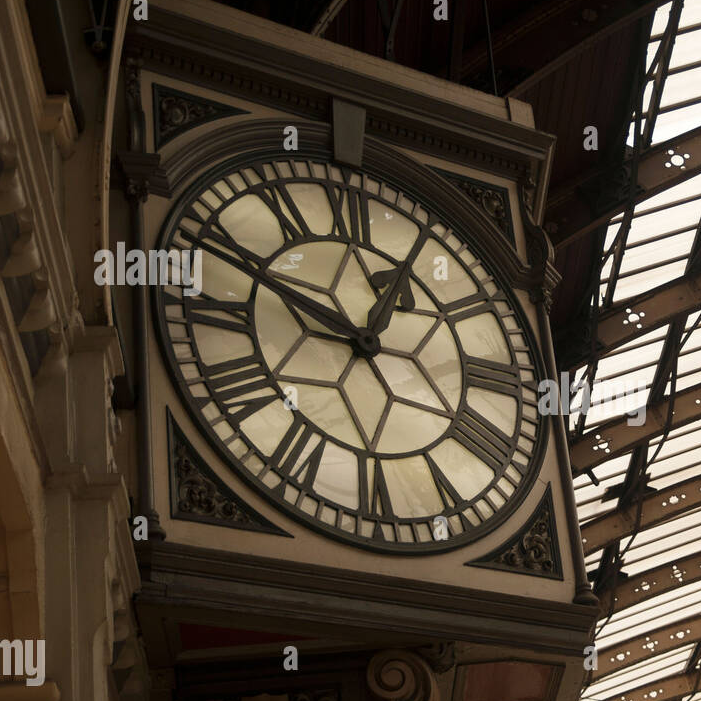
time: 12:48
